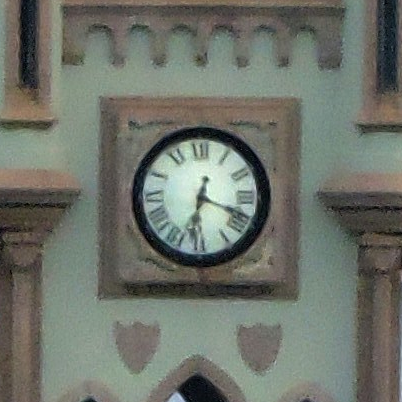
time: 6:18
